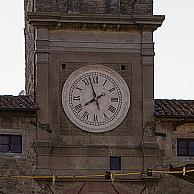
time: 7:57
